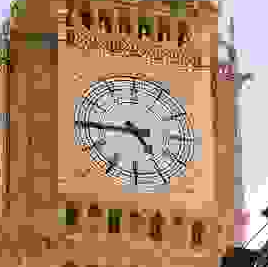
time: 4:44
